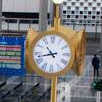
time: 10:42
